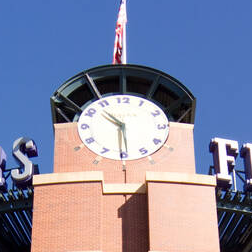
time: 10:29
